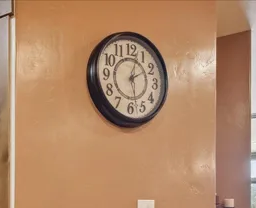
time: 2:02
